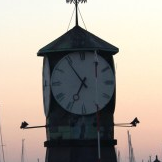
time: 6:54
